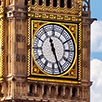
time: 11:26
